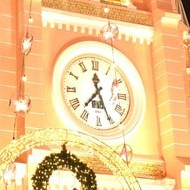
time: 7:25
